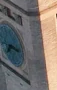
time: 7:15
